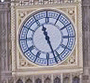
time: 11:26
